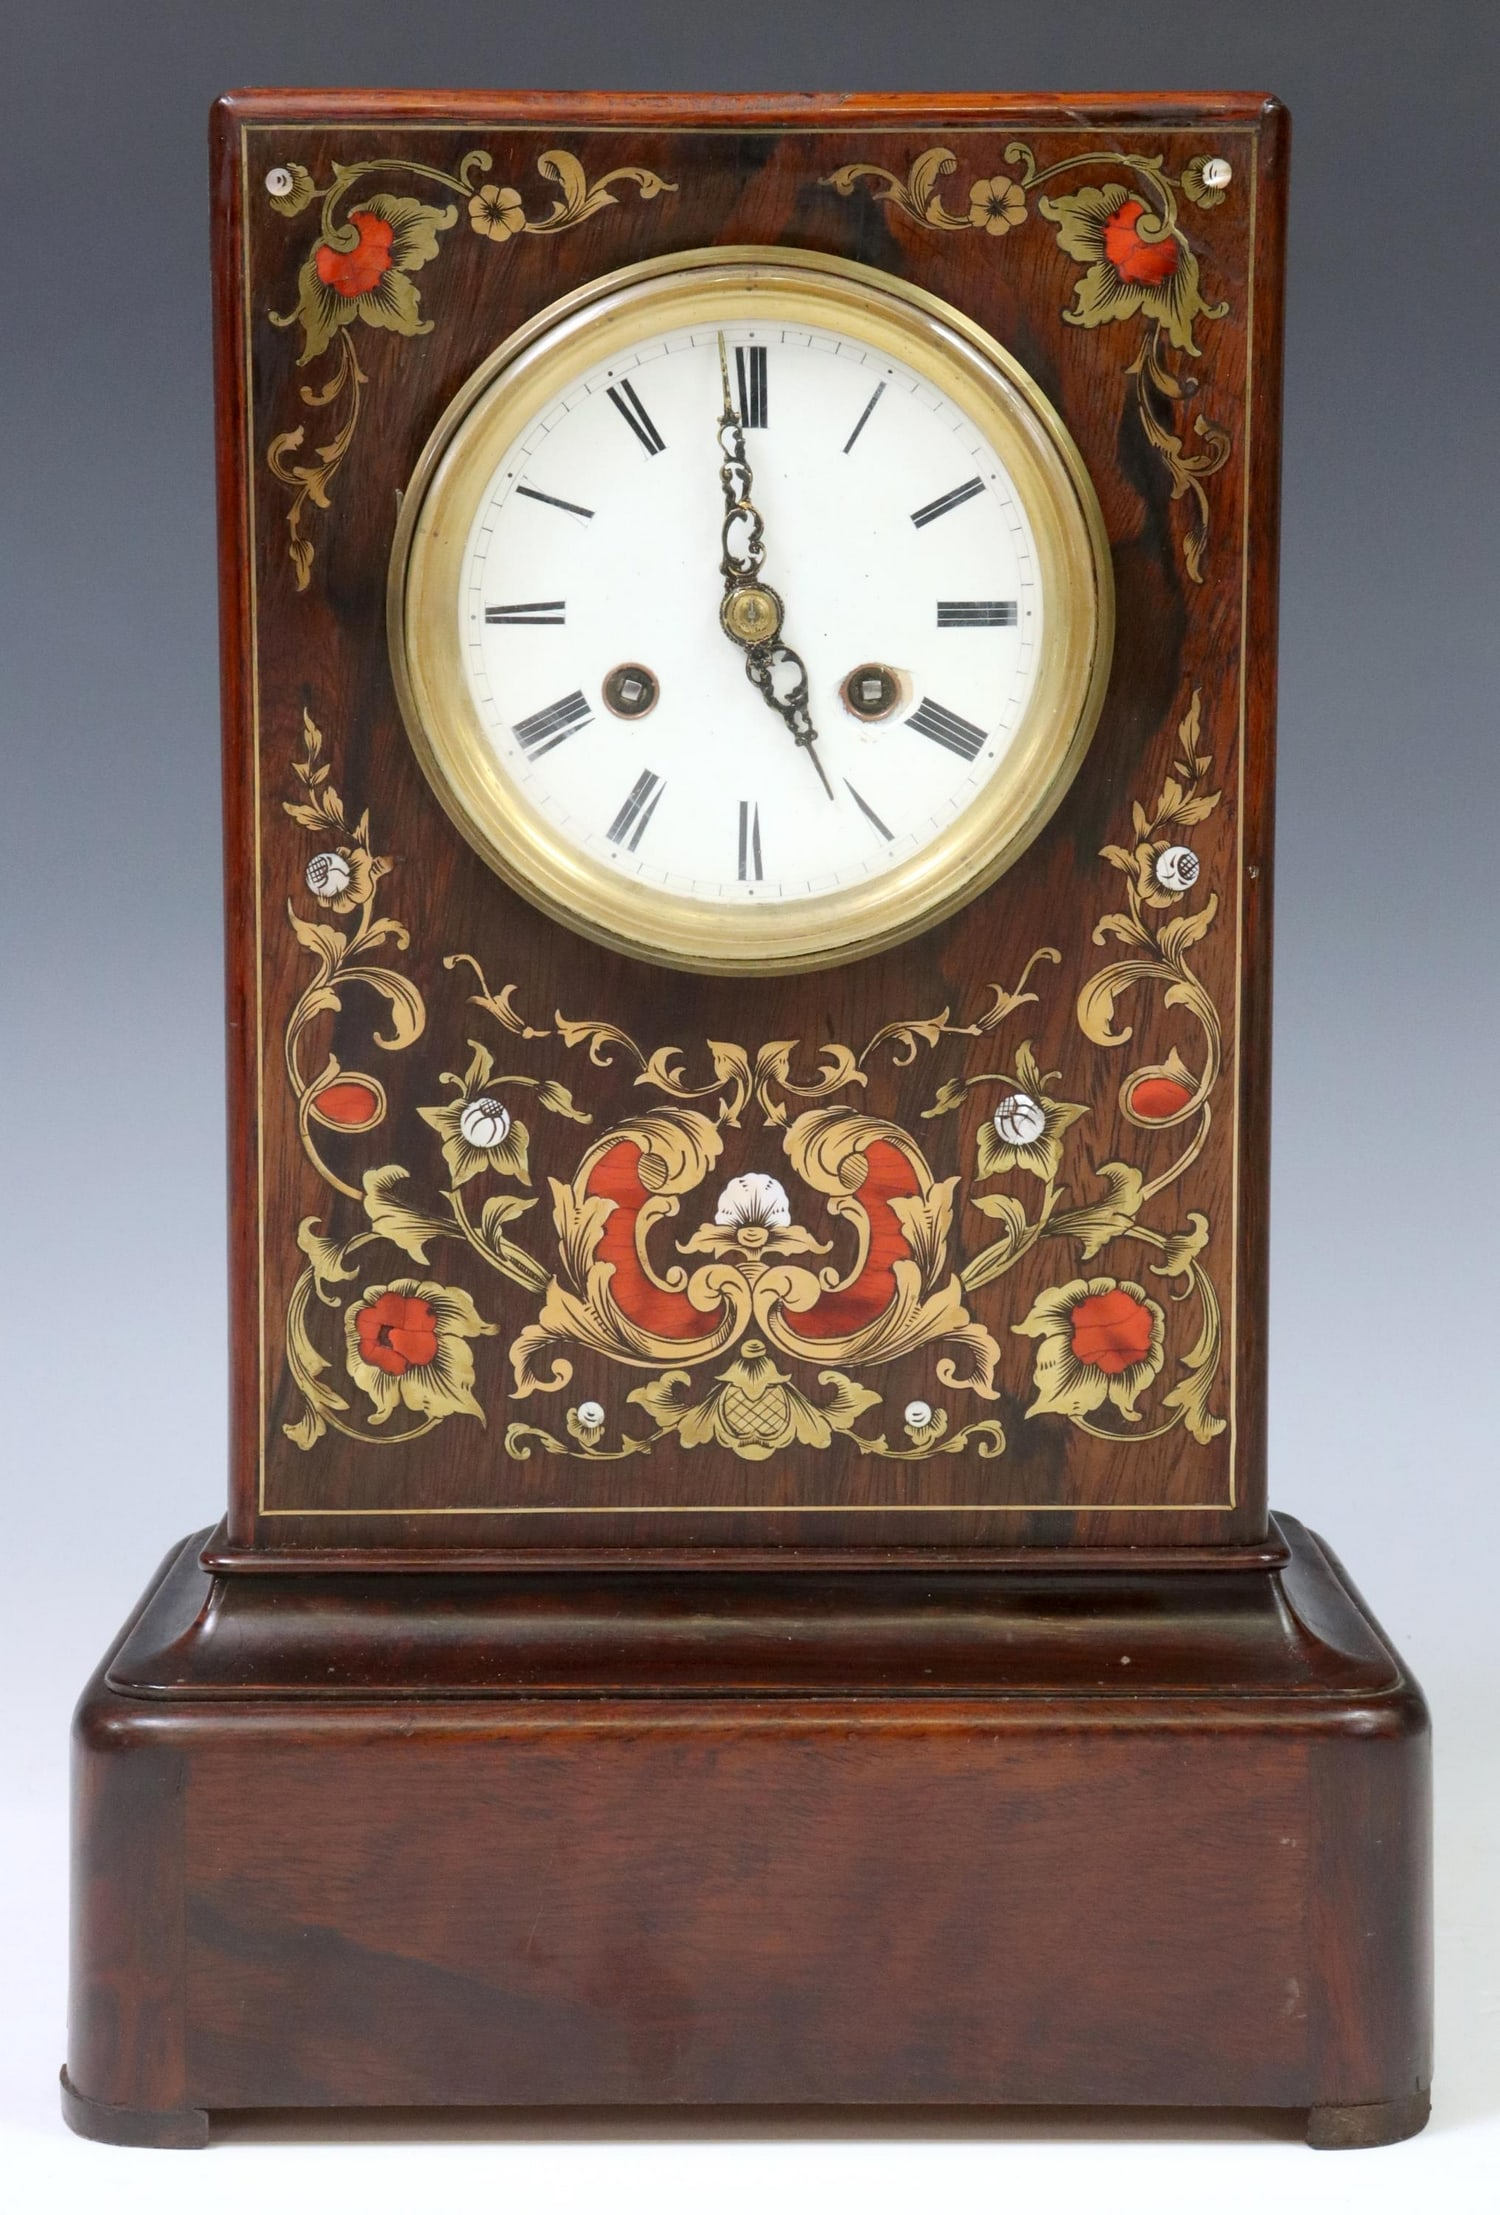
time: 4:59
